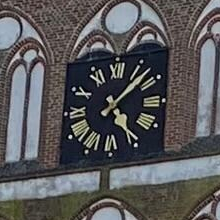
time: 5:07
